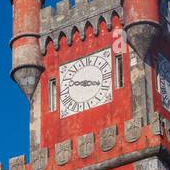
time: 9:17
